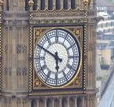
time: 5:49
